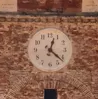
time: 12:21
